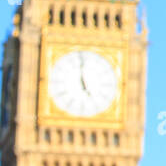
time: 4:59
